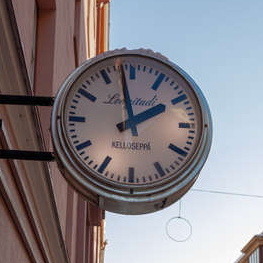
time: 1:58
